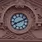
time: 8:11
